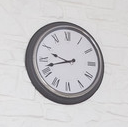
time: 9:42
